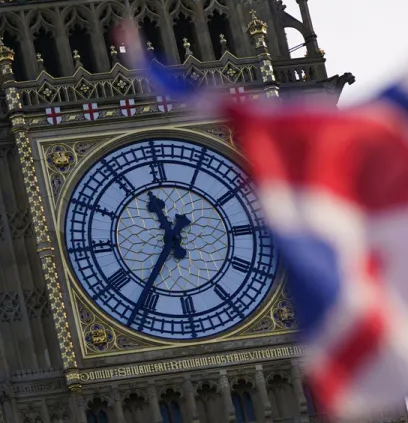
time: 11:35
